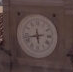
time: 5:42
